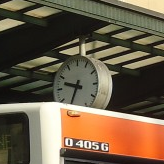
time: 9:35
